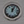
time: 12:04
